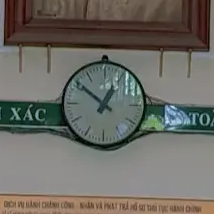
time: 12:51
